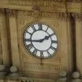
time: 1:44
